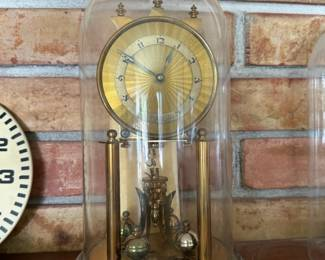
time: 12:49
